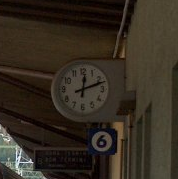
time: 12:11
